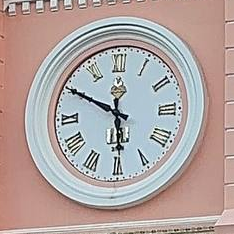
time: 5:49
